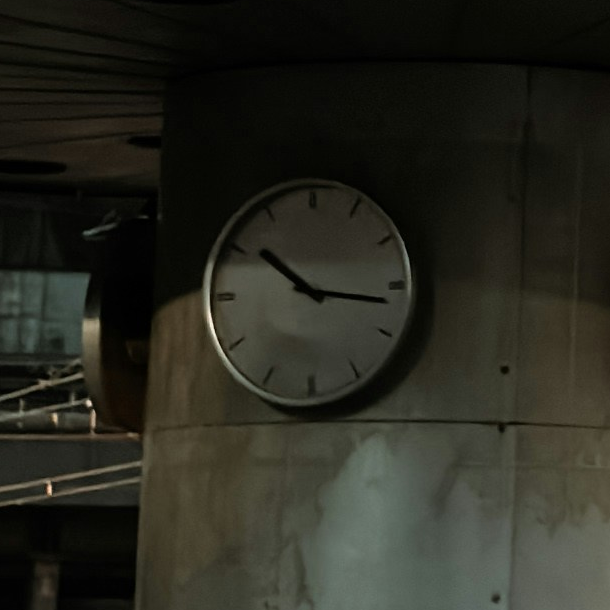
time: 10:16
